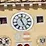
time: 11:25
